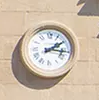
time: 2:16
